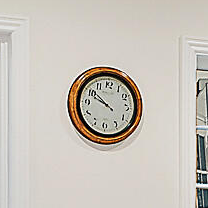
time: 9:51
